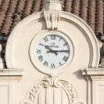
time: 10:14
